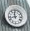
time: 11:42
